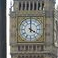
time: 4:00
